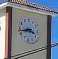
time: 3:42
